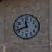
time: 11:41
